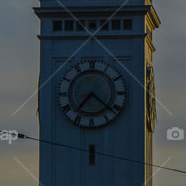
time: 7:21
